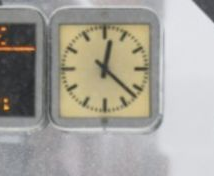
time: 12:21
